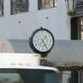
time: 1:24
